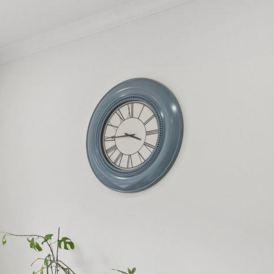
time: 3:44
